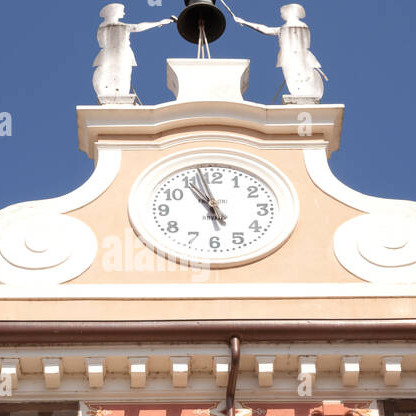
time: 10:57
